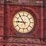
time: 10:45
